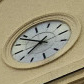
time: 6:48
